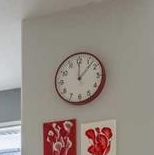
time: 12:07
